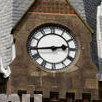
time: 2:44
